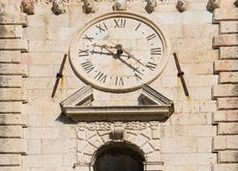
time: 9:22
